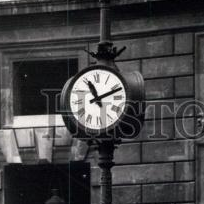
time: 11:11
